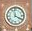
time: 3:58
